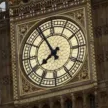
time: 7:55
